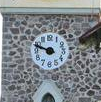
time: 9:48
